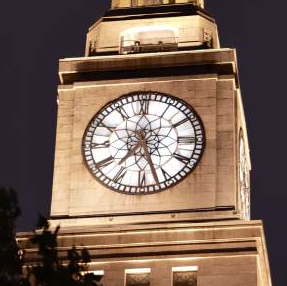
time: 7:26
